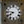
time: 7:46
